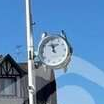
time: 11:57
